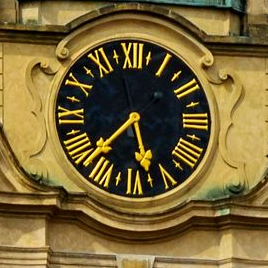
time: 5:37
